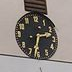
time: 2:32
